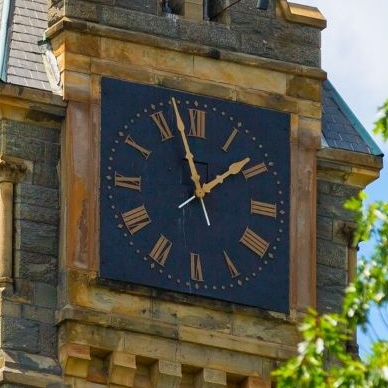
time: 1:57
